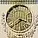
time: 3:38
